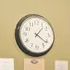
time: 1:21
